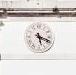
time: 5:18
